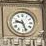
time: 9:26
